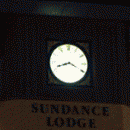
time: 8:19
